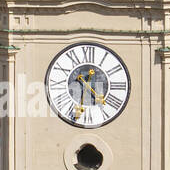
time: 12:31
